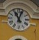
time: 11:03
